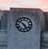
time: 4:51
